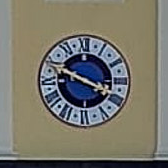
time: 3:48
